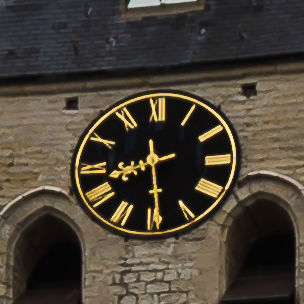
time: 8:29
